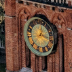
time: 12:18
